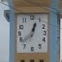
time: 12:38
